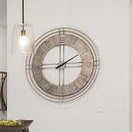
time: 2:00
